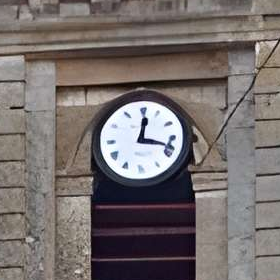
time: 12:17
